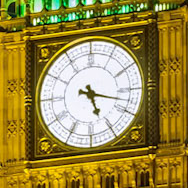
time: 5:17
